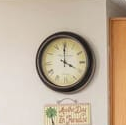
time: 4:00
